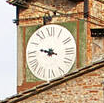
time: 9:47
